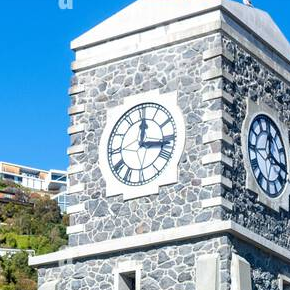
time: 12:16
